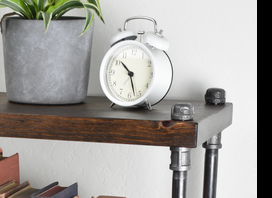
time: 10:27
